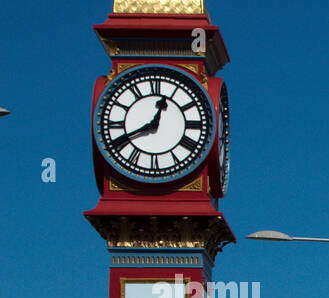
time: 12:40
